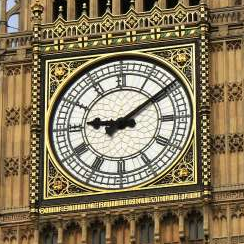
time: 9:09
